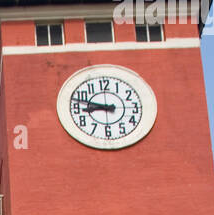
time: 8:47
